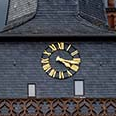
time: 4:16
